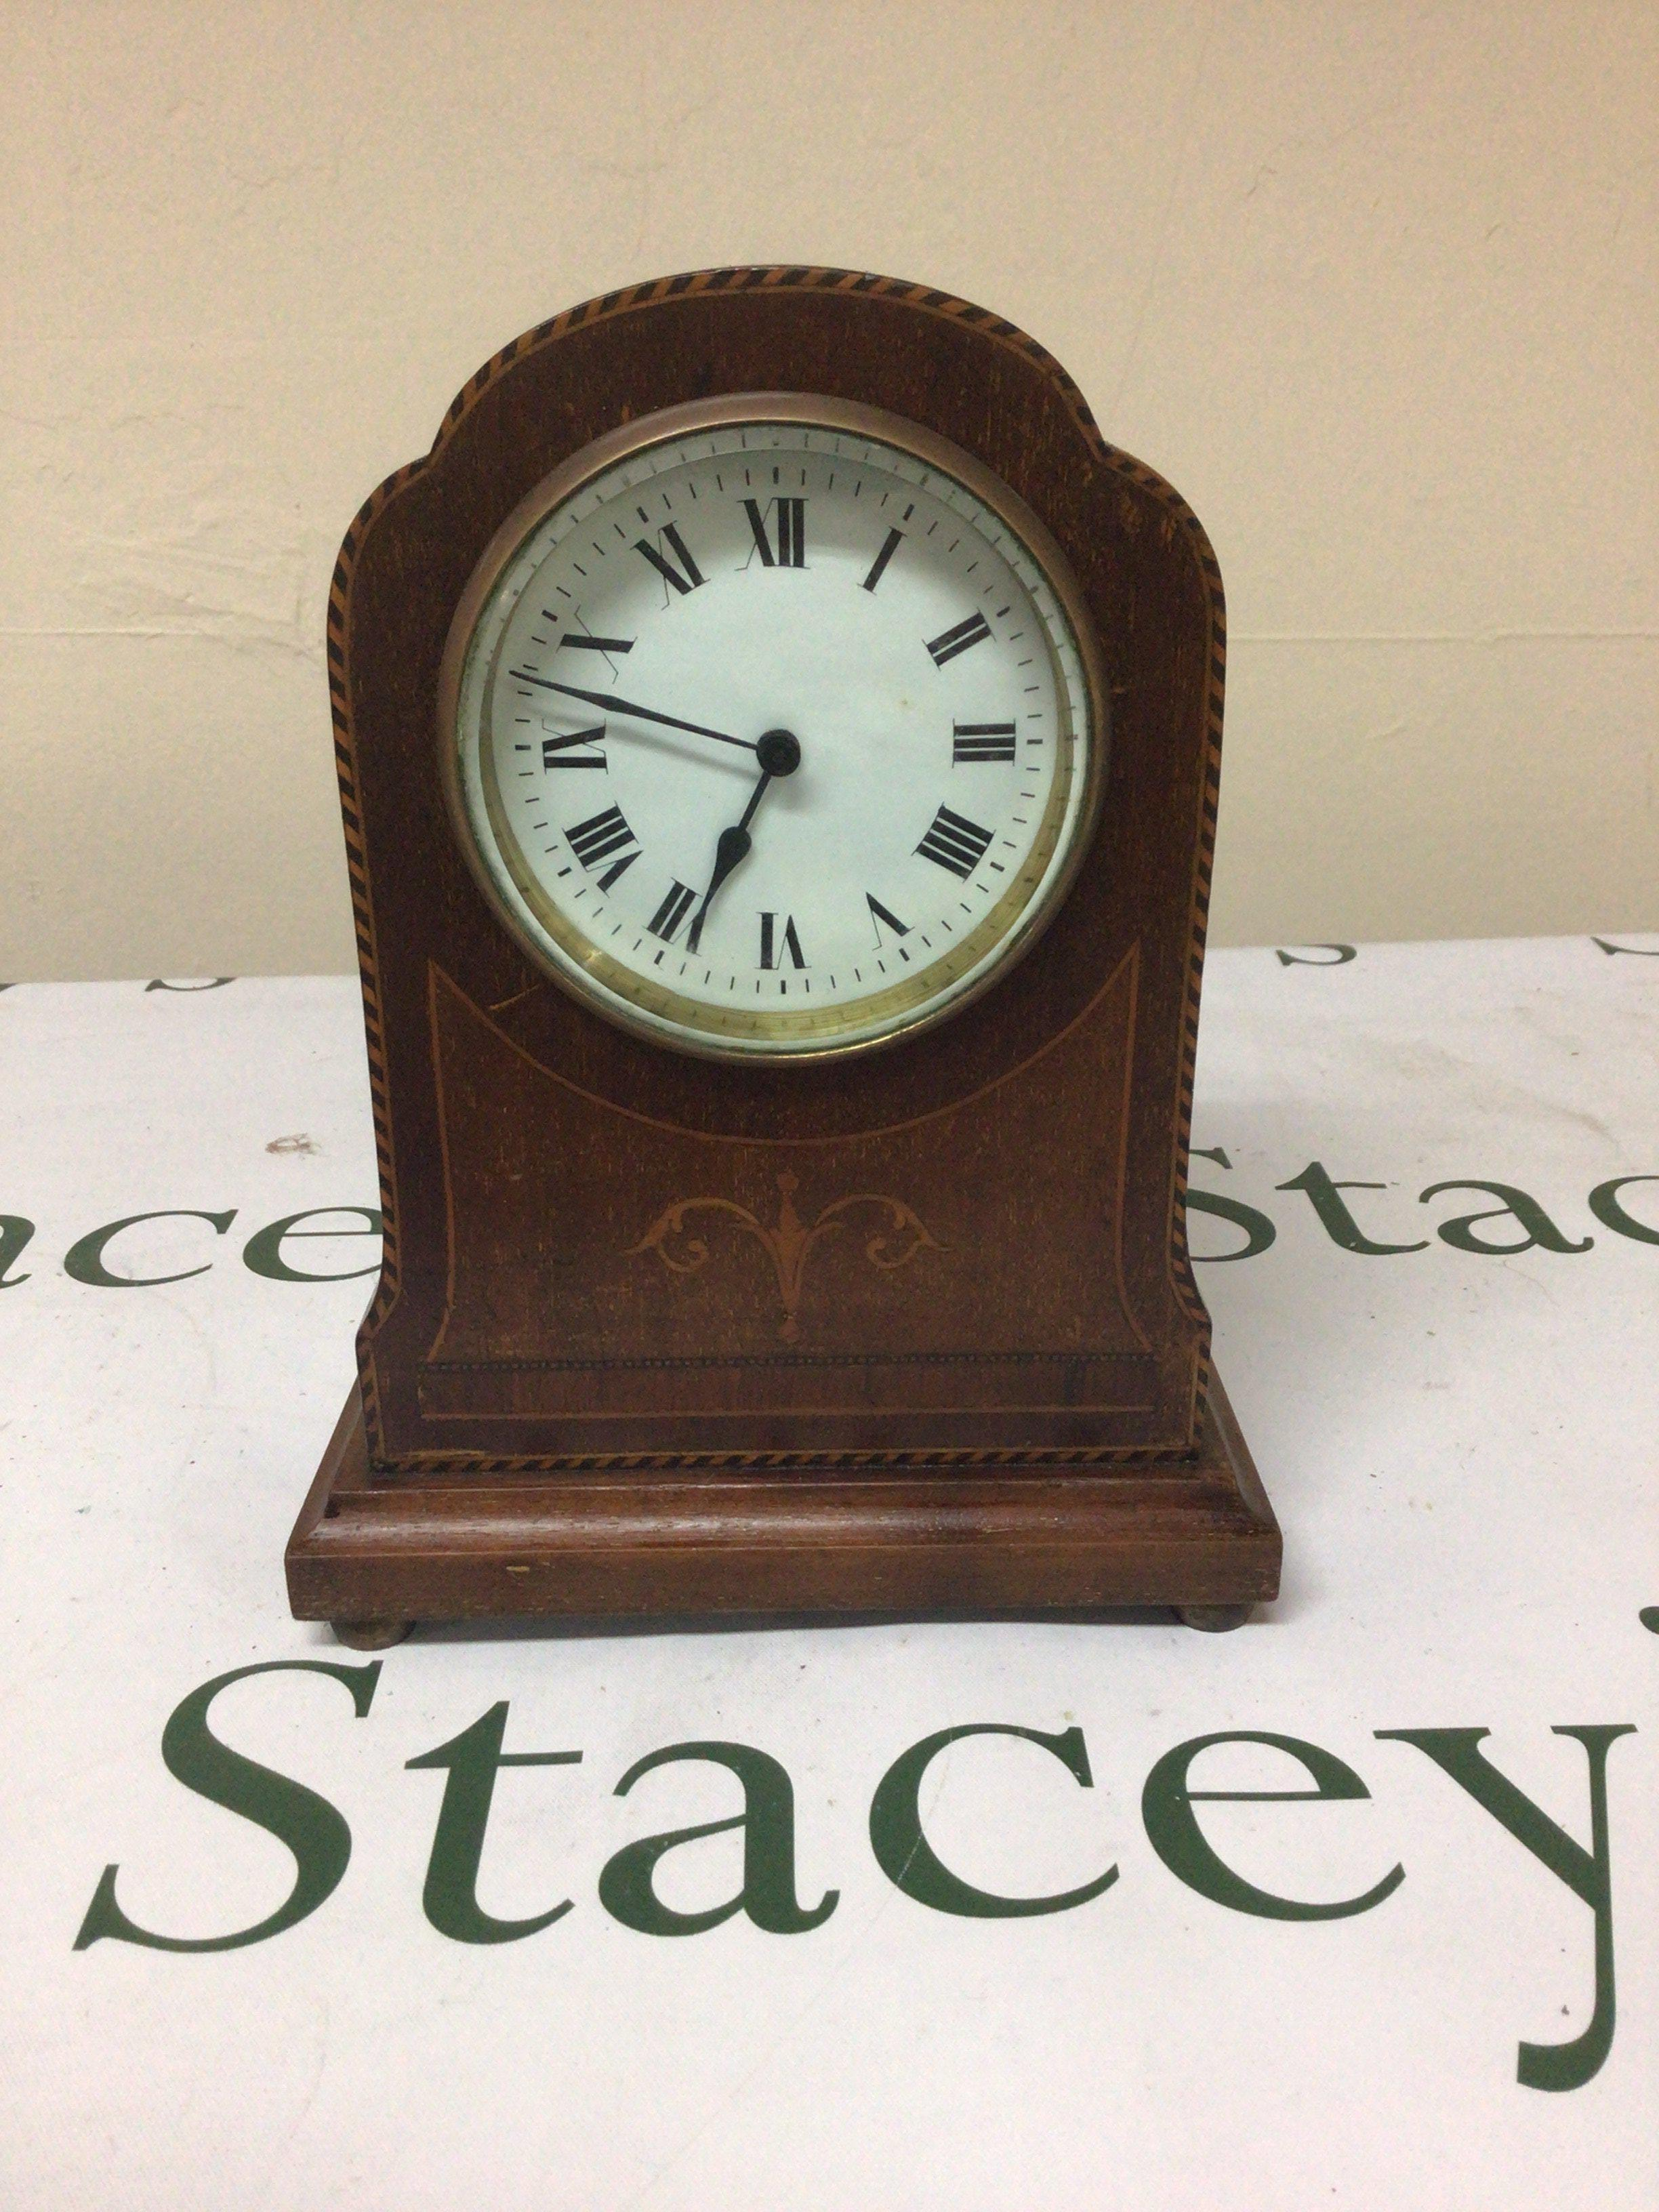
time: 6:47
